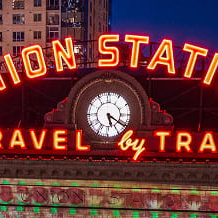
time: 5:20
